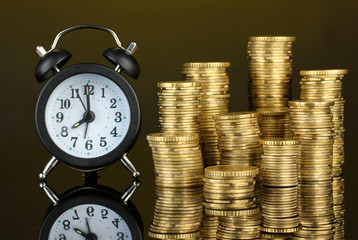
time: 7:59
